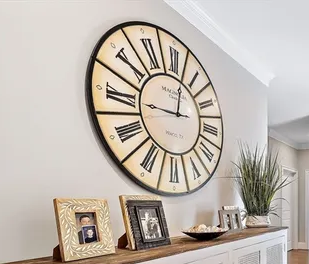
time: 9:01
